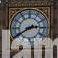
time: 2:40
